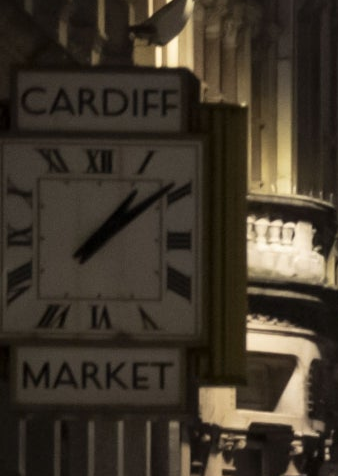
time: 1:08
